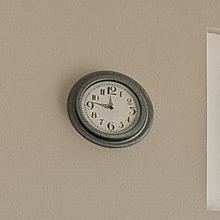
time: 11:46
